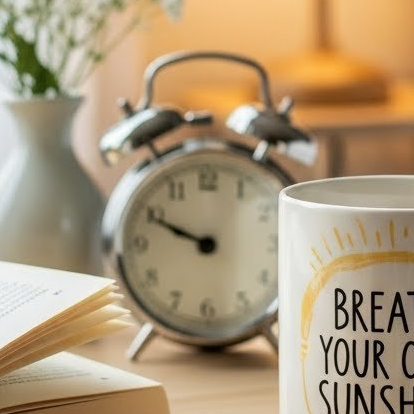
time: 9:49
